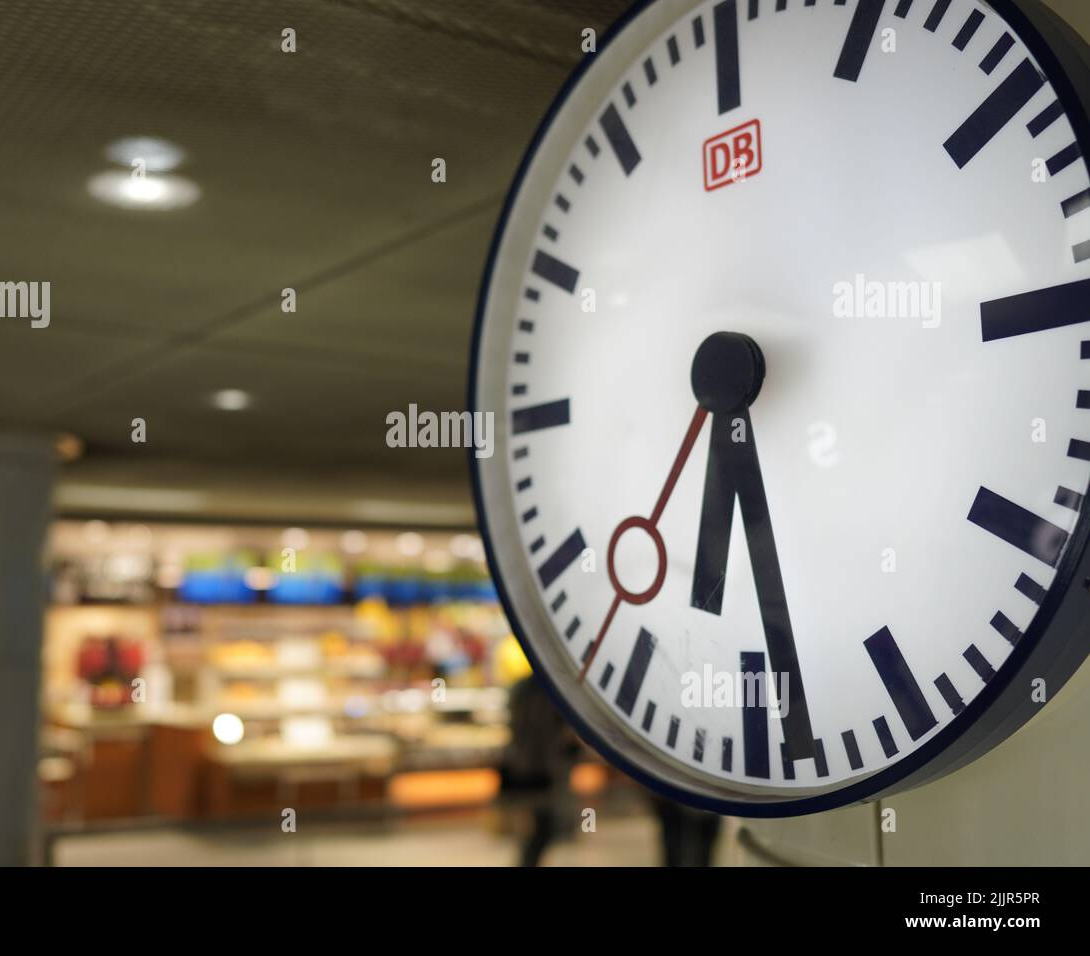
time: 6:28
